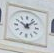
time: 10:07
